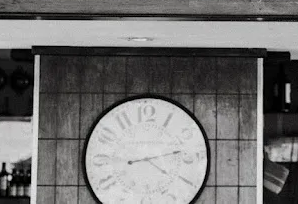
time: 4:12
